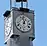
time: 12:57
